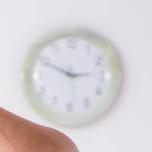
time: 2:49
